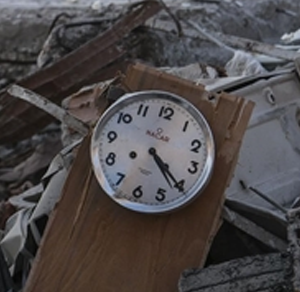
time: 4:20
